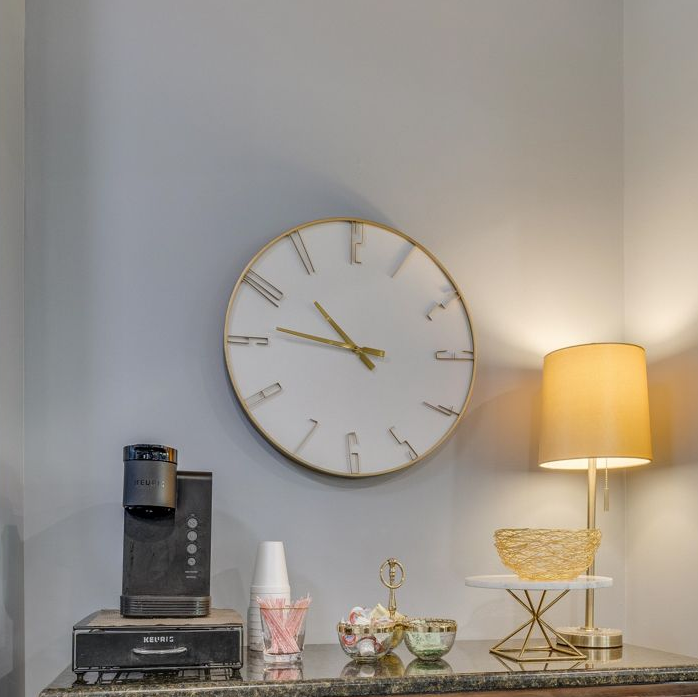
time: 10:46
